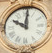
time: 10:01
